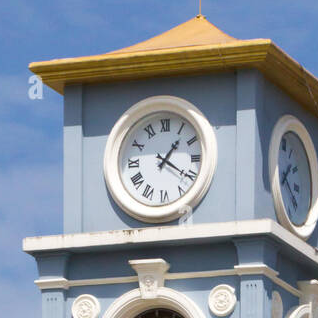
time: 1:20
